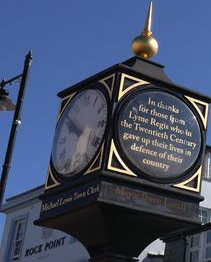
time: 9:50
